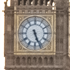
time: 5:26
